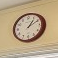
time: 1:10
